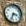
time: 3:33
